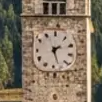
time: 1:26
